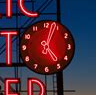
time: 5:03
